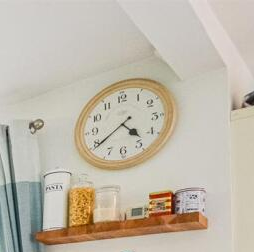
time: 4:39
